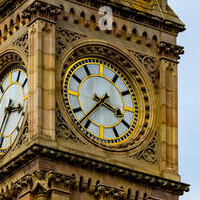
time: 3:37
